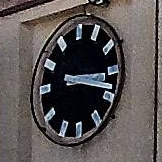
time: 3:18
